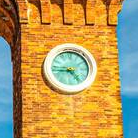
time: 4:43
